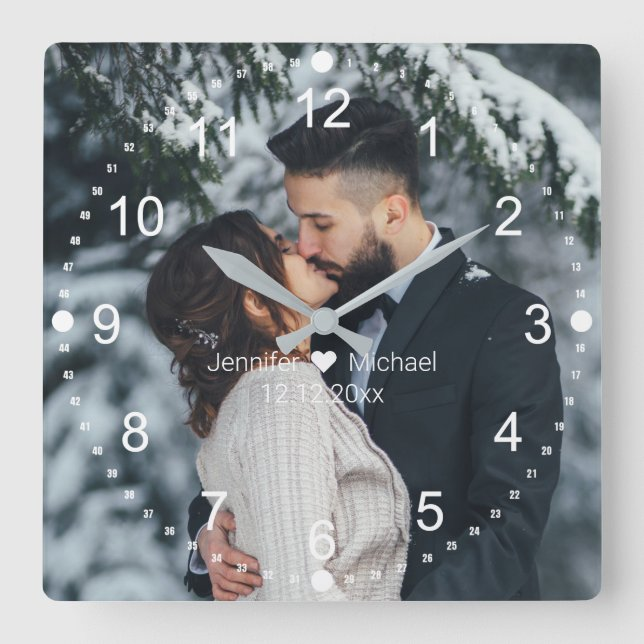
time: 1:50
